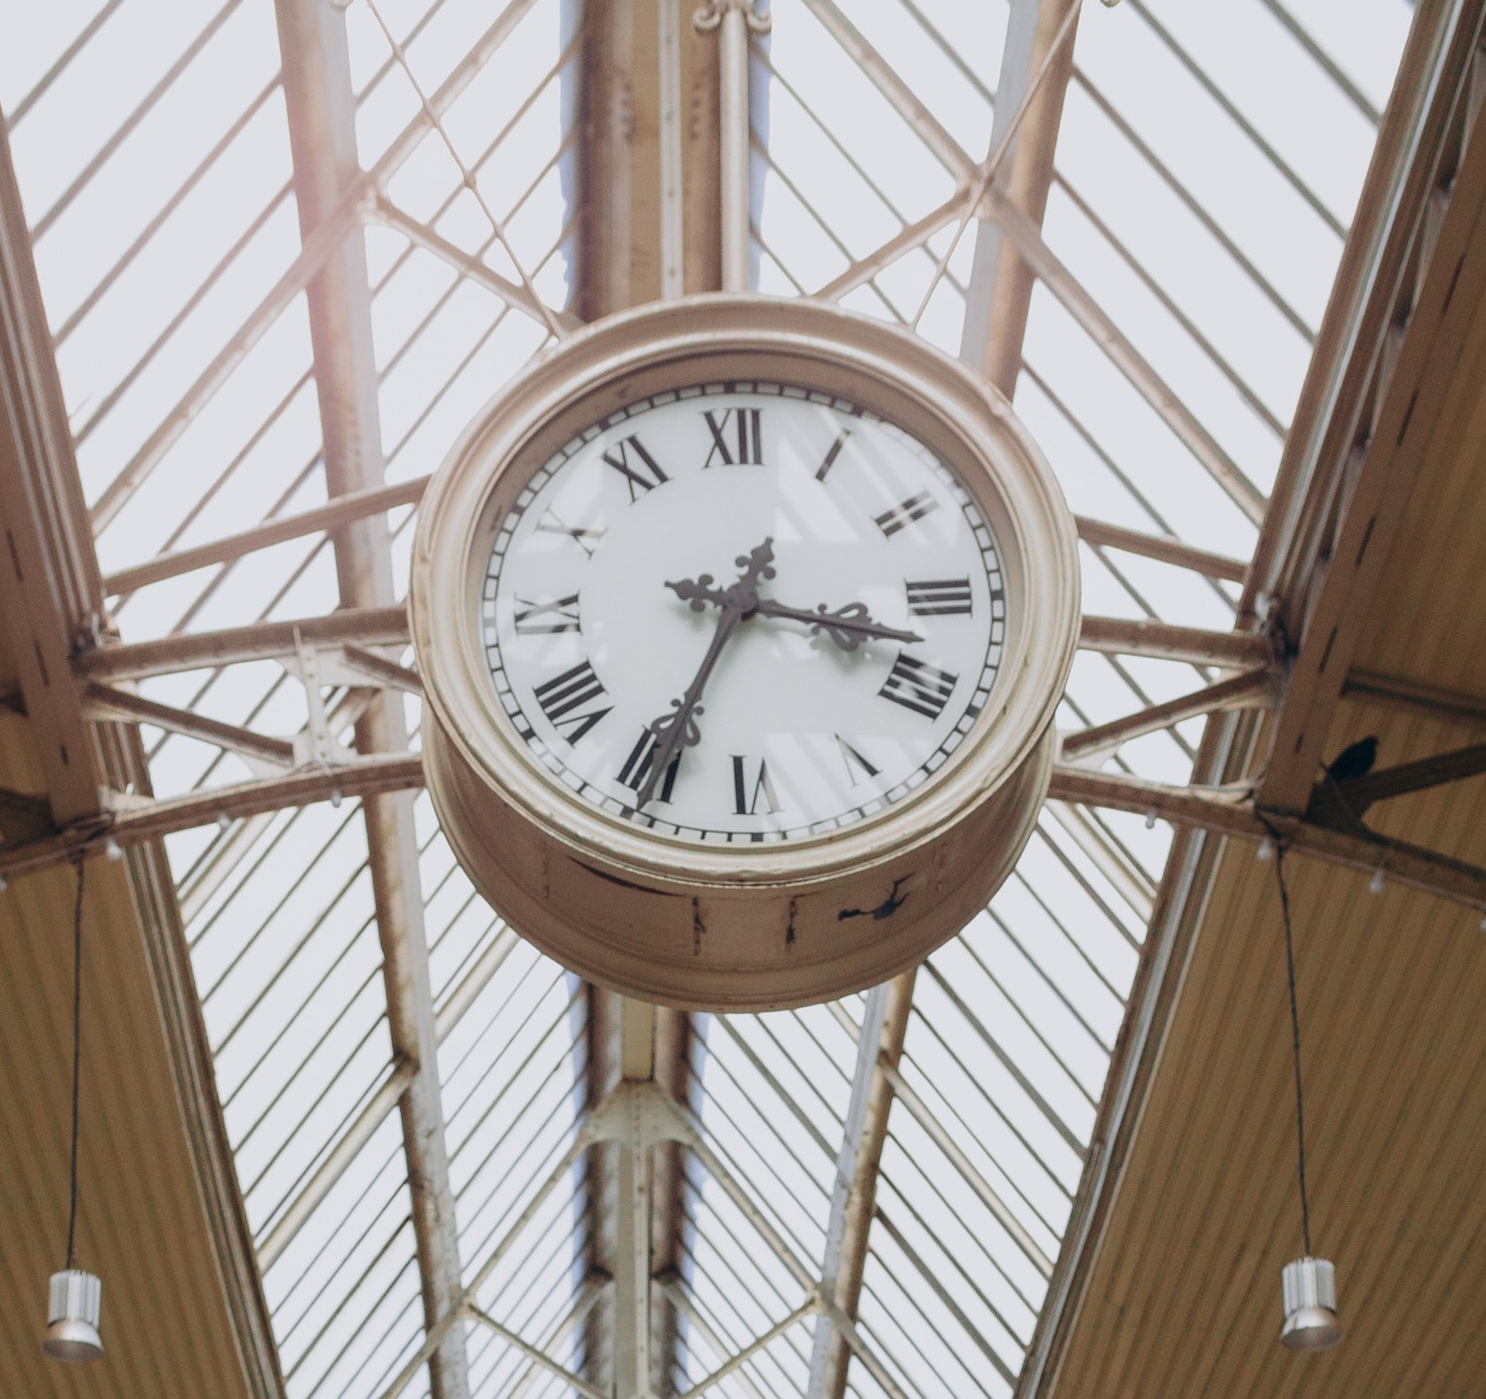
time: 3:34
